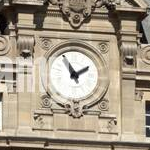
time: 1:56
